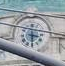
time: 3:29
